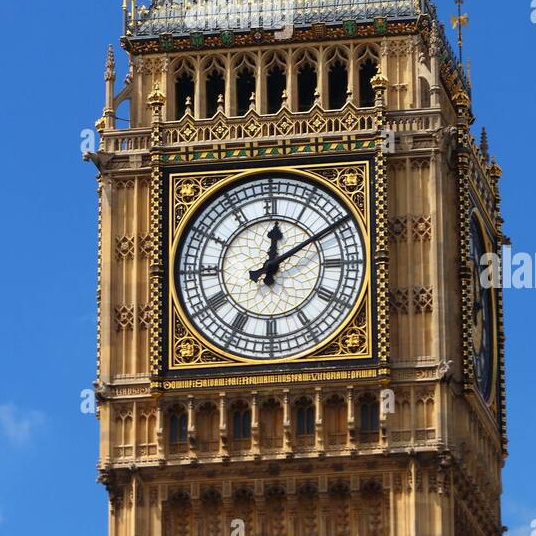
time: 12:09
